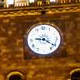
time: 9:21
